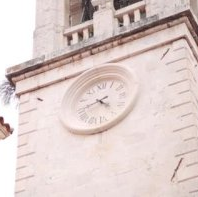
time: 4:42
